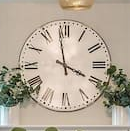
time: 3:58
